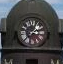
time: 1:16
